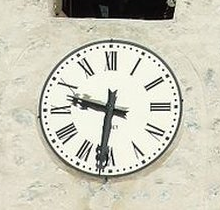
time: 9:31
